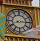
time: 8:15
